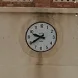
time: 9:39
